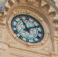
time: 11:10
